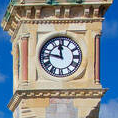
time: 11:46
